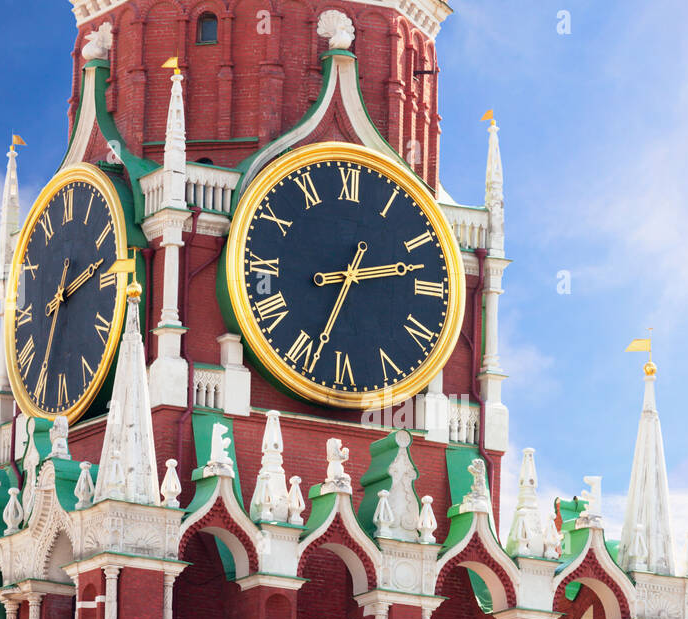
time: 2:33
